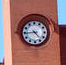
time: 4:44
